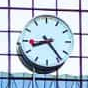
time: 8:23
